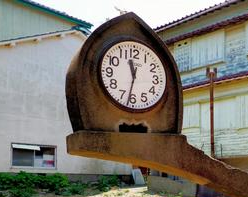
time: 11:32
